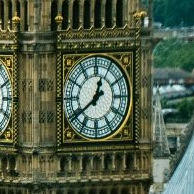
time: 12:39
